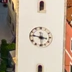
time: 11:46
